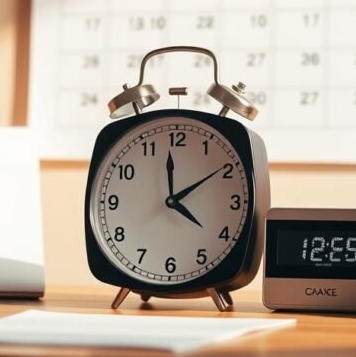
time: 4:09
